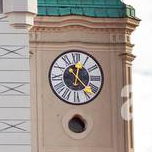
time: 12:23
